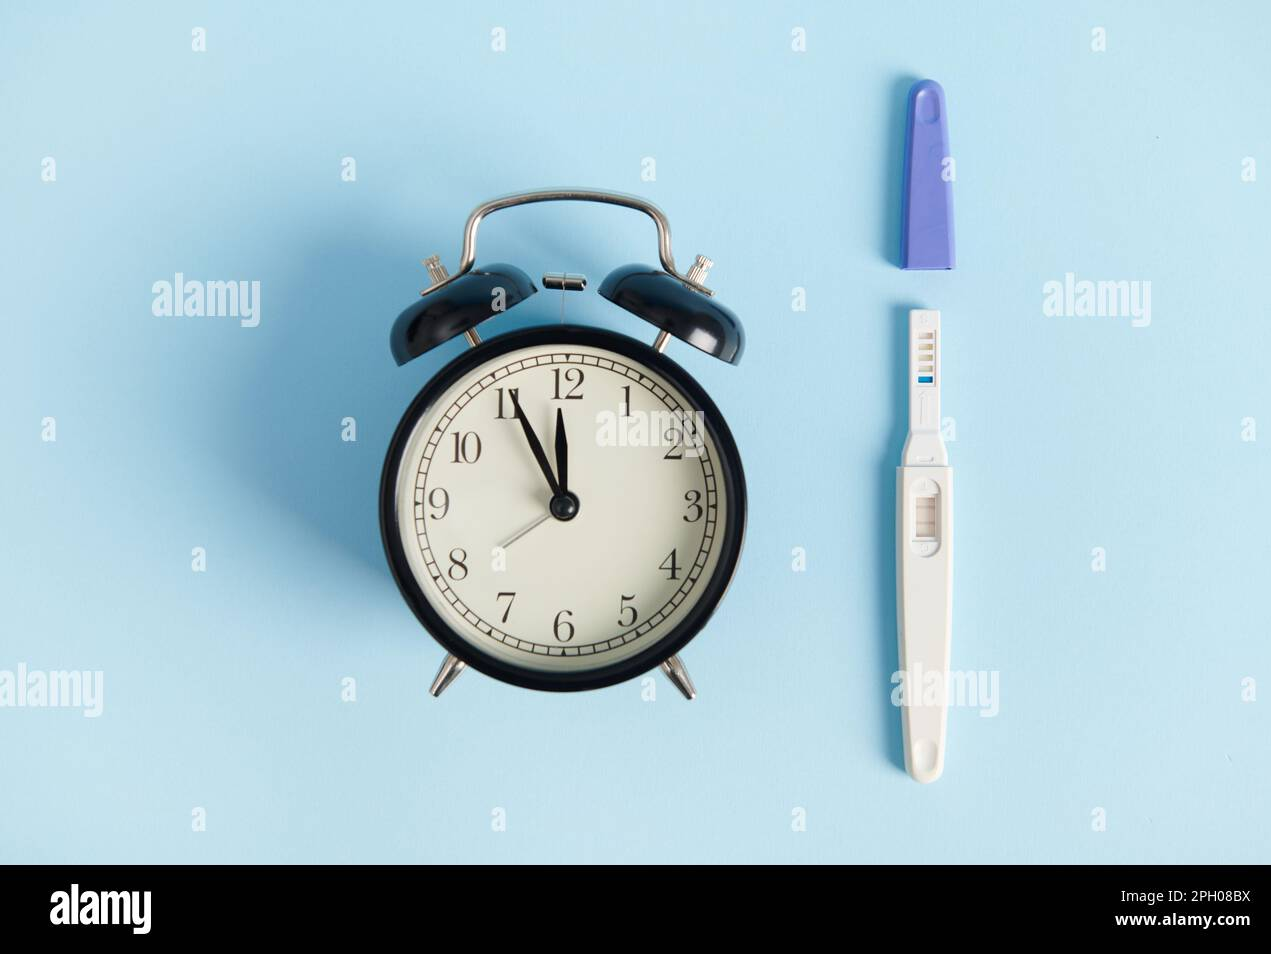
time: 11:55
